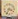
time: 3:35
